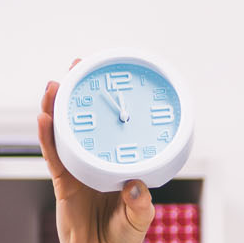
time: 11:55
